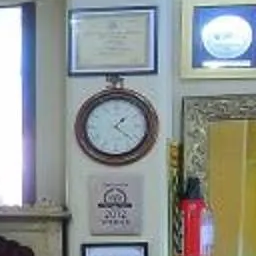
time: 1:21
